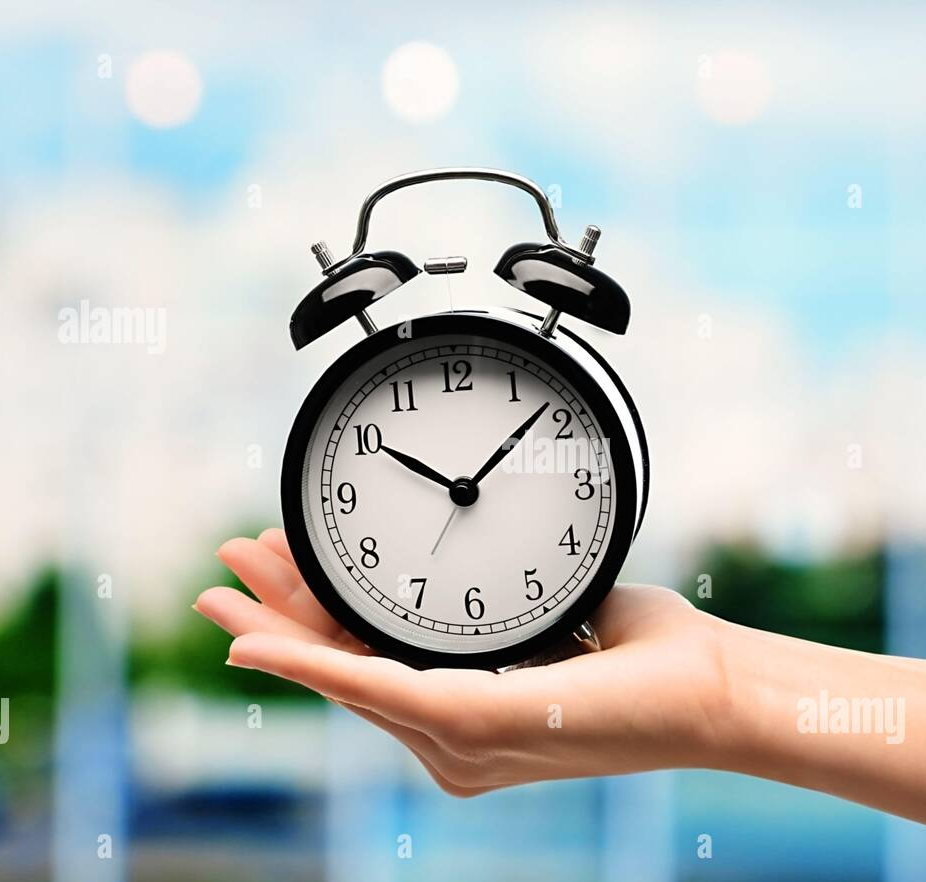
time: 10:07
